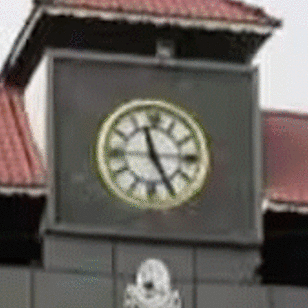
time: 11:25
